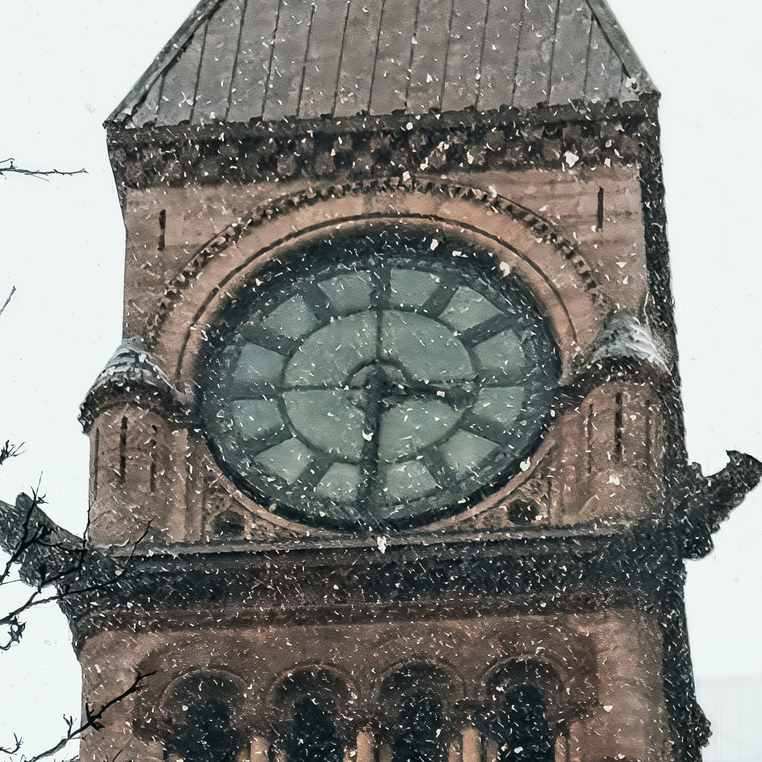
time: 3:30
